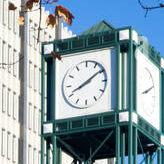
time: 8:09
